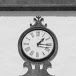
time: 1:16
